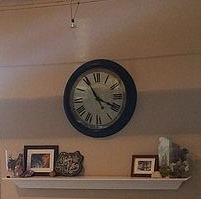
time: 3:55
